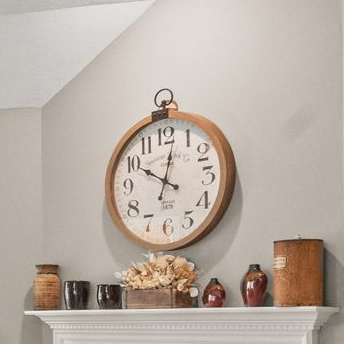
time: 10:02
